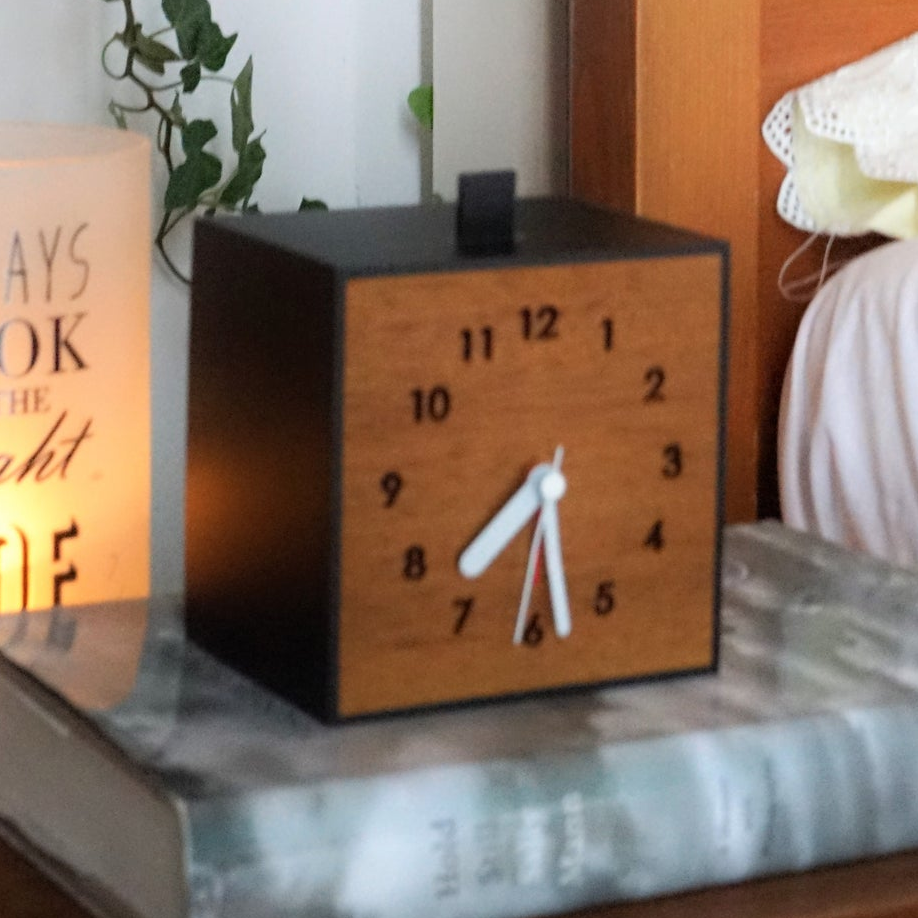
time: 7:28
